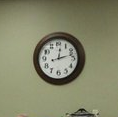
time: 12:12
